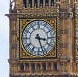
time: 3:26
